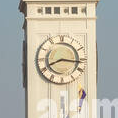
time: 8:16
